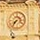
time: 7:36
